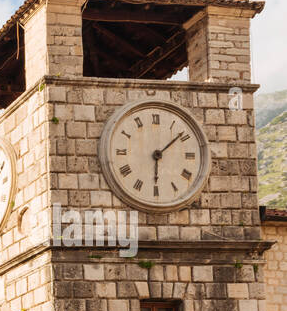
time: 6:08
